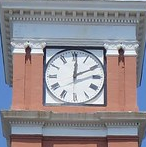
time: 12:10
